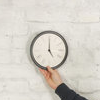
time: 5:00
